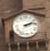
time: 2:12
